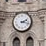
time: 2:18
